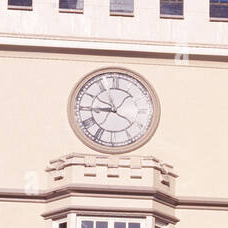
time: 8:56
